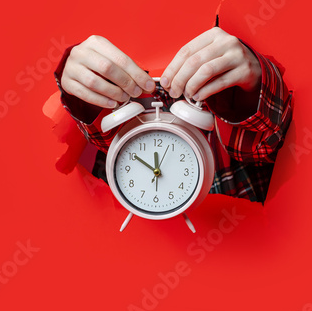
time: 11:50
